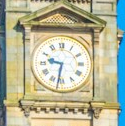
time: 9:31
